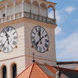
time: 11:37
